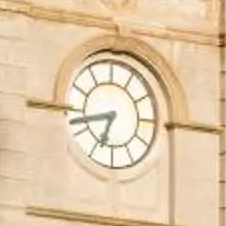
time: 6:42
